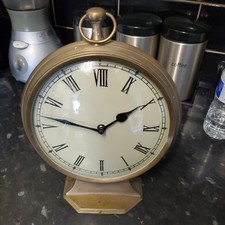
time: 1:47
